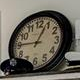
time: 12:45
